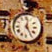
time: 12:24
